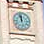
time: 11:57
